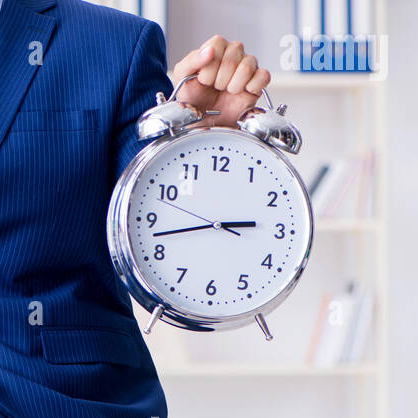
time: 2:42
